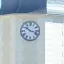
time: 10:17
